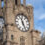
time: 11:25
